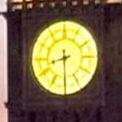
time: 8:29
